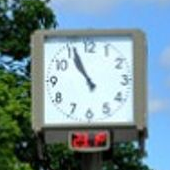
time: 10:56
